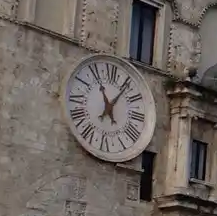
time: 11:05
